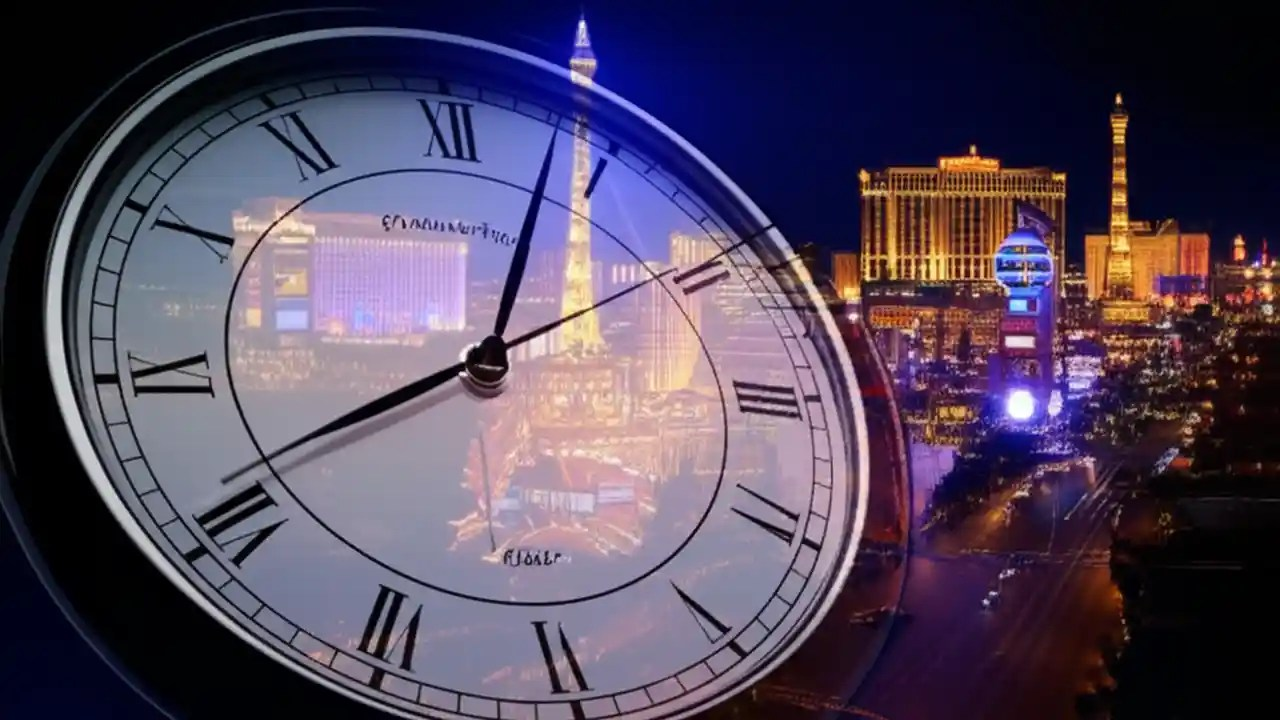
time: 8:03
